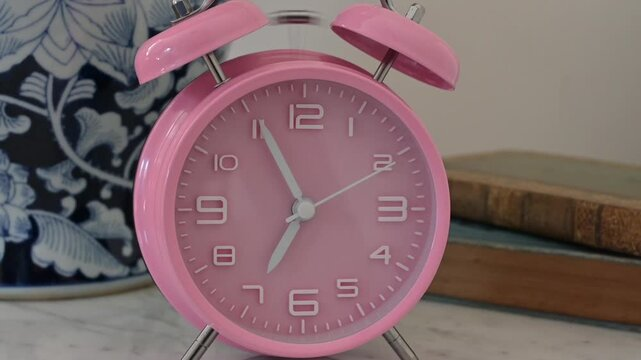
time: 6:55
